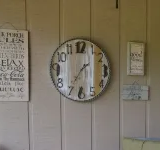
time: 1:35
